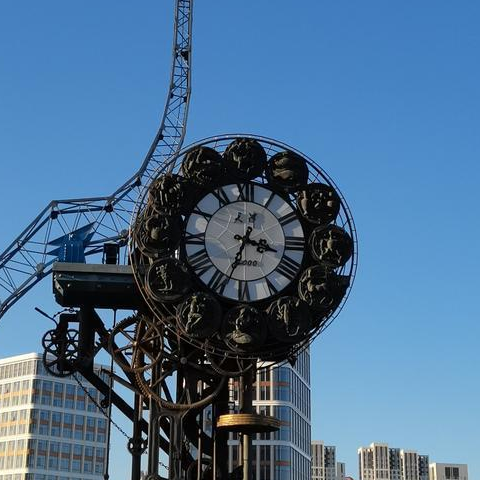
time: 3:33
